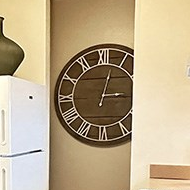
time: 3:02
